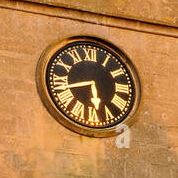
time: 5:42
